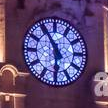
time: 5:54
